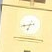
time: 6:41
